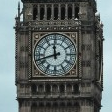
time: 11:42
